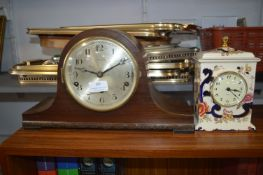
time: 1:46
